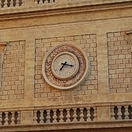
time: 7:17
